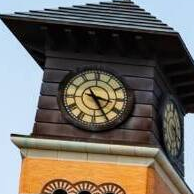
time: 3:24
